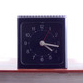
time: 4:16
